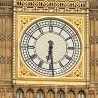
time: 6:29
